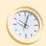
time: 10:02
